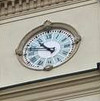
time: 10:47
